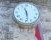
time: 11:28
